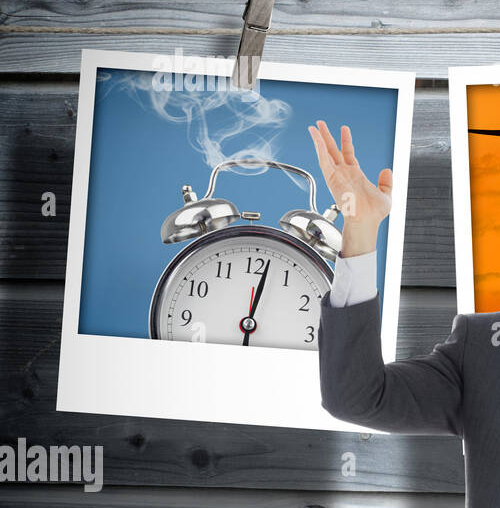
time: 12:01
